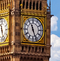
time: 11:26
